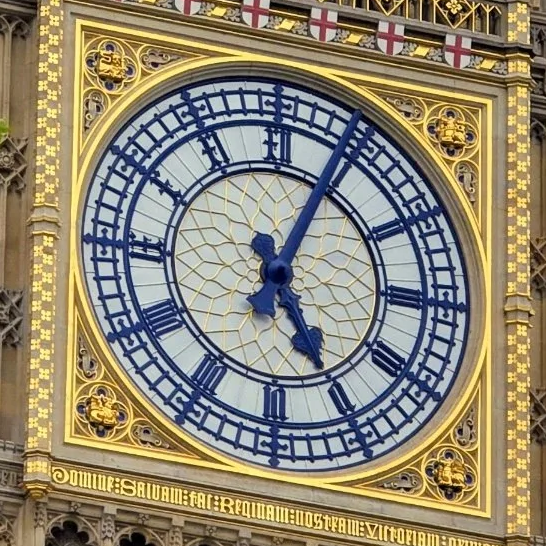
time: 5:04
